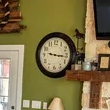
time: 9:16
